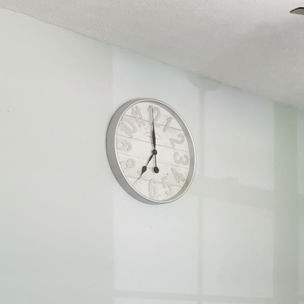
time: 7:00
